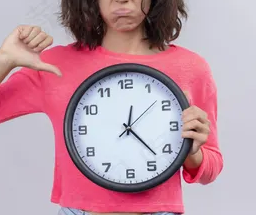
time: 12:22
